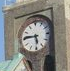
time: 5:46
